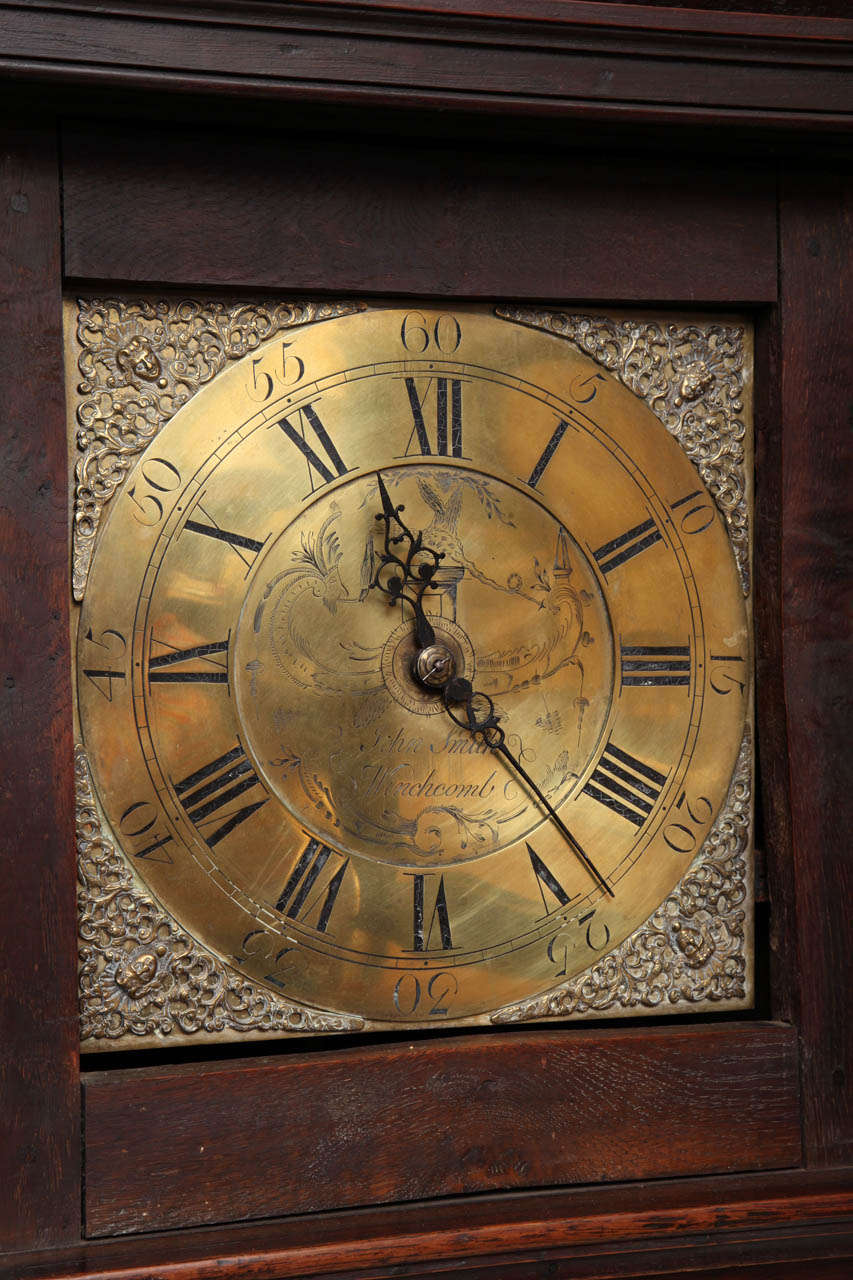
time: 11:23
